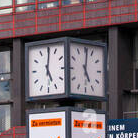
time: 5:01
